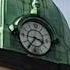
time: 3:35
